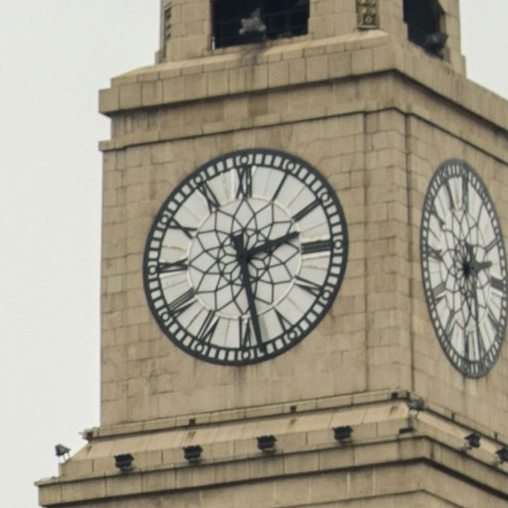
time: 2:28
